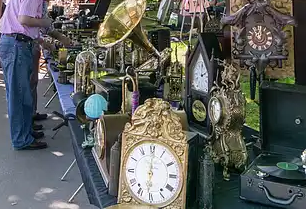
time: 6:00
